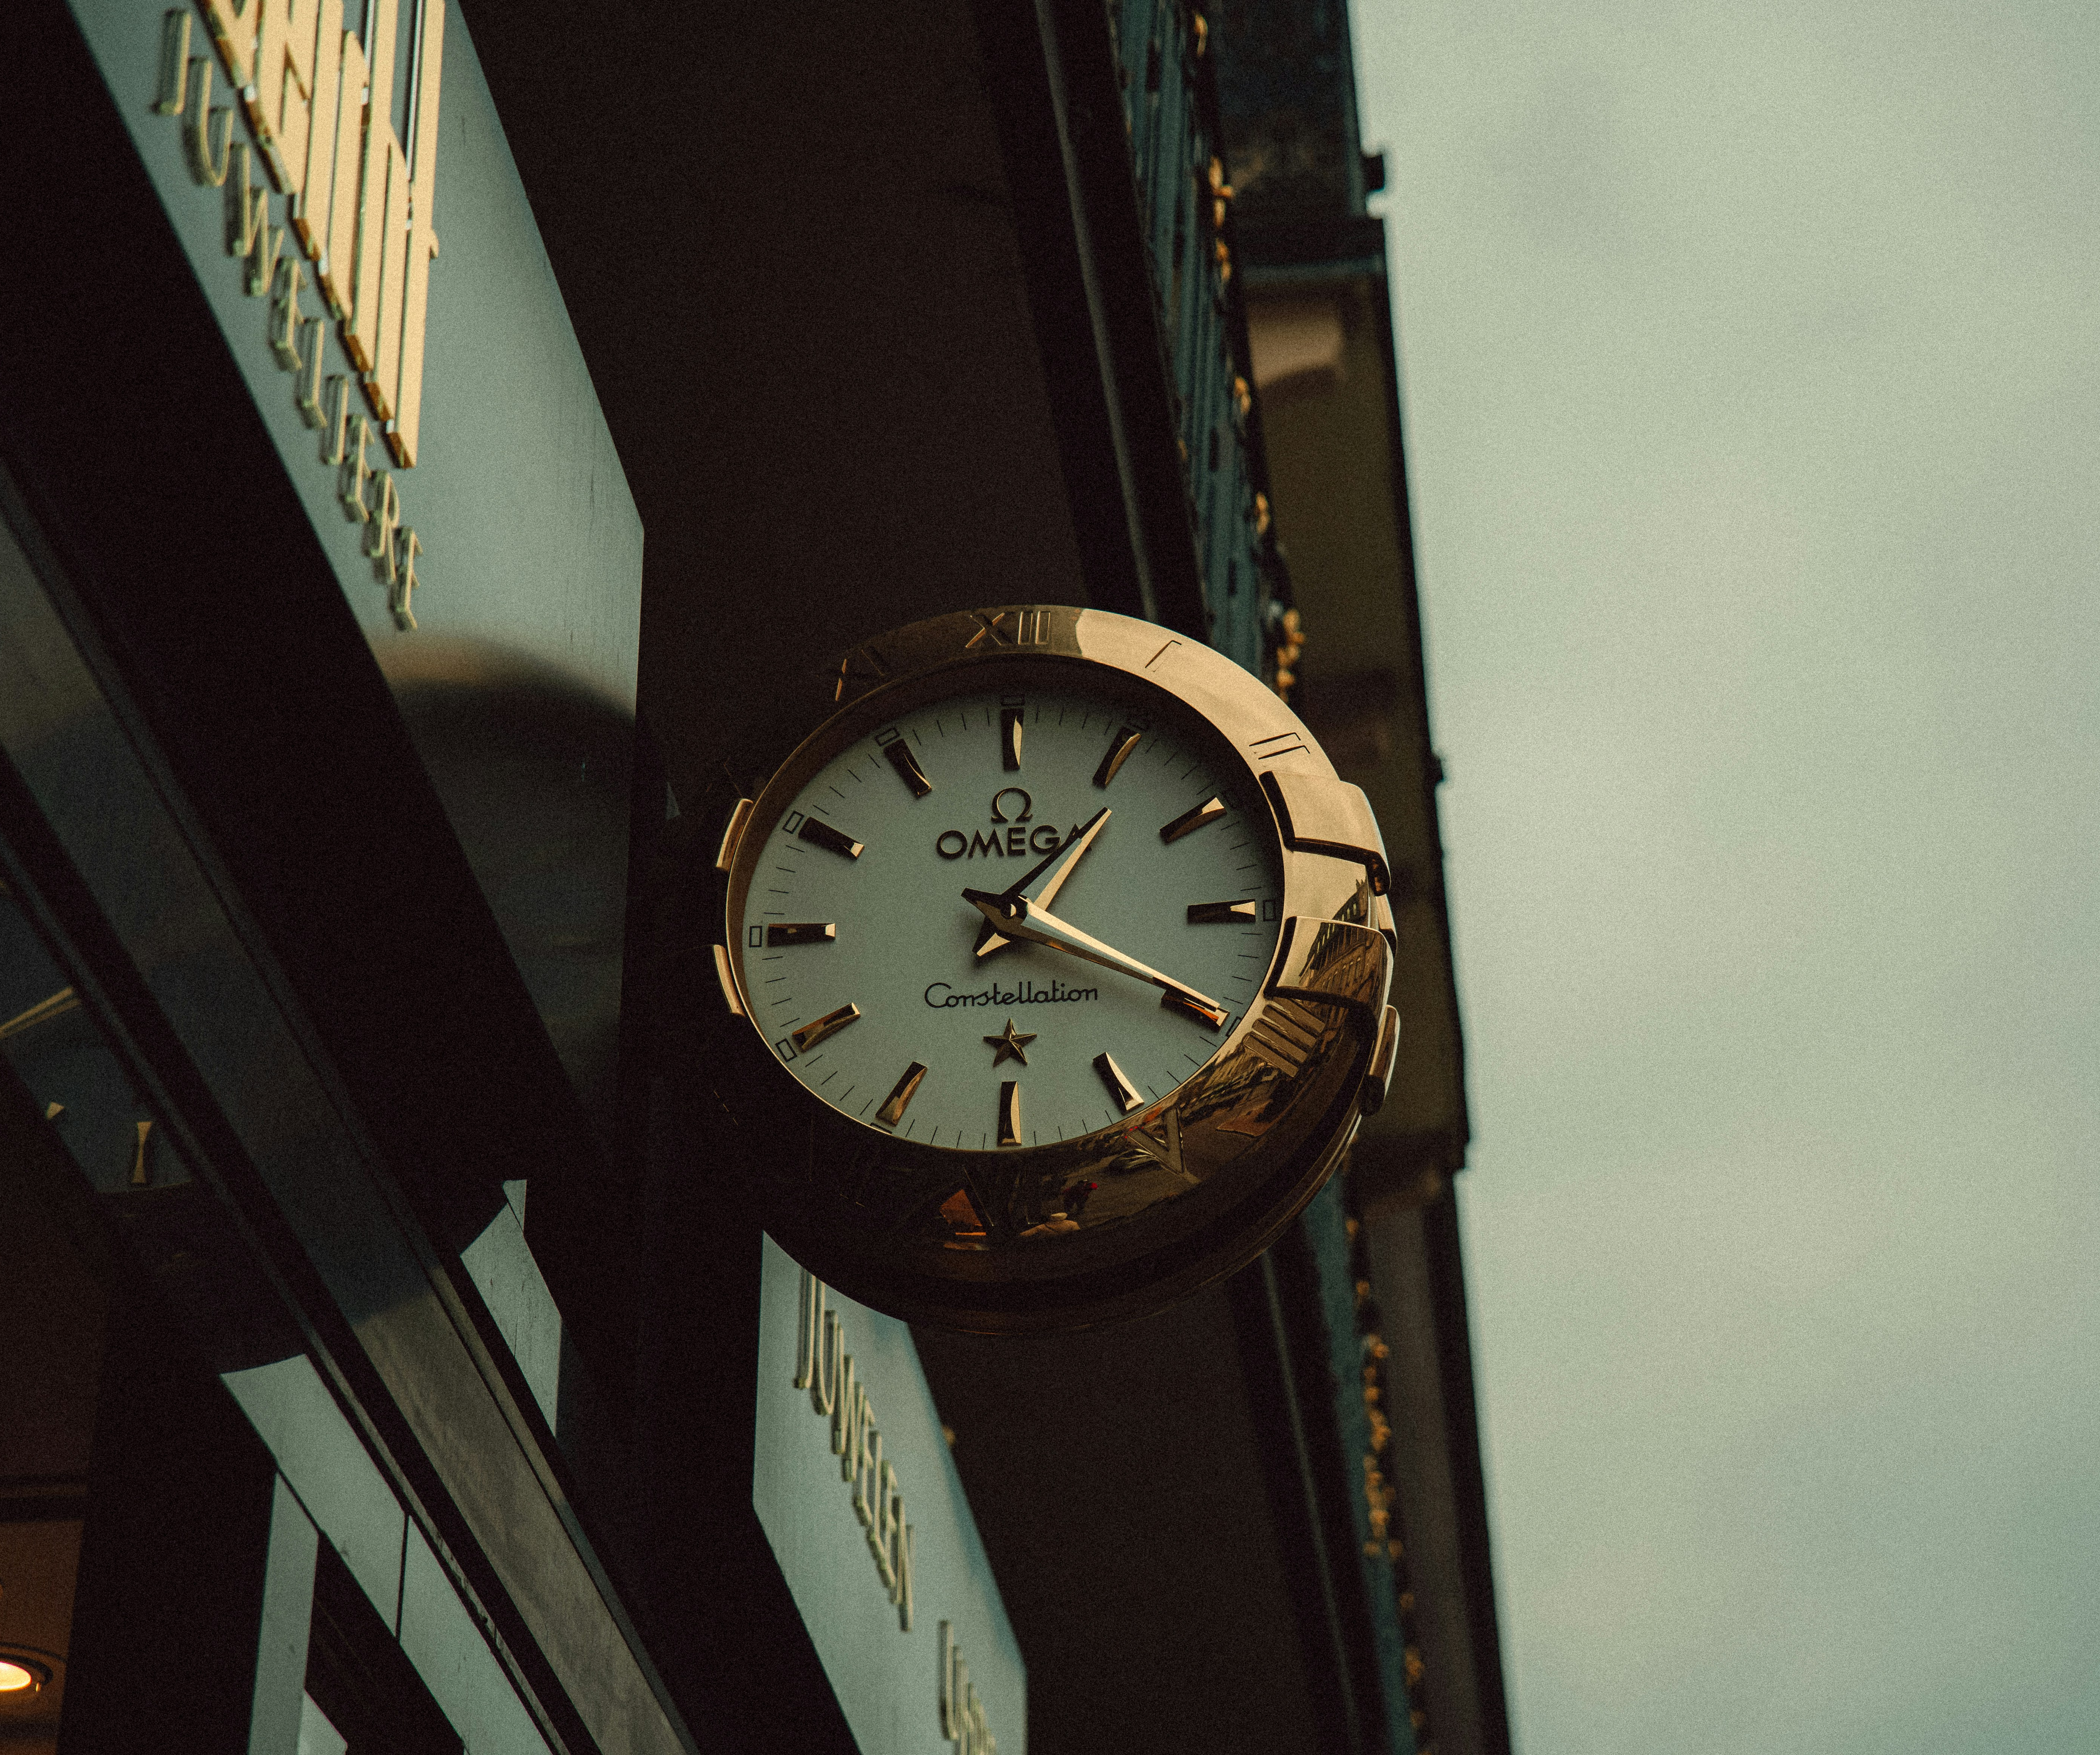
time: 1:19
